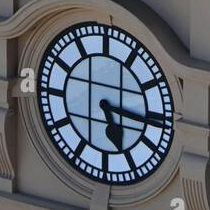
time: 5:15
